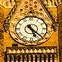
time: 5:22
